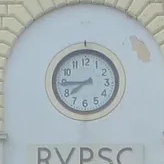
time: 7:44
